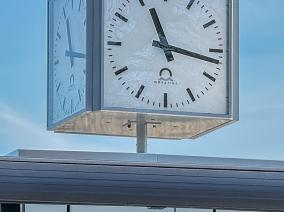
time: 11:16
